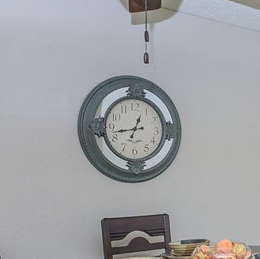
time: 12:42
